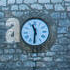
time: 11:31
